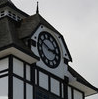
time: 2:48
